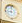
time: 9:01
